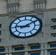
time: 9:09
